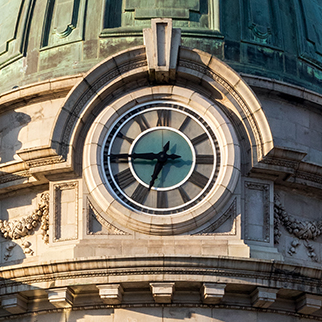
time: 6:44
